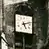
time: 5:12
